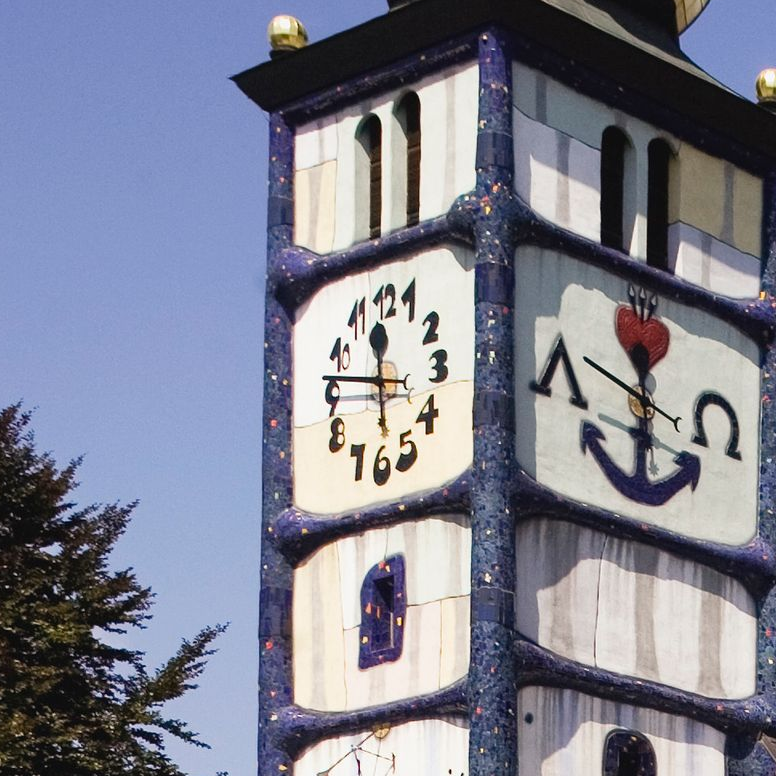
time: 11:46
